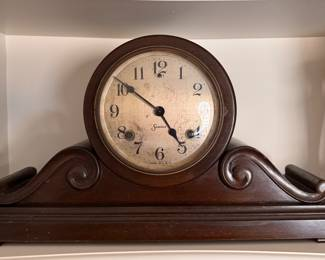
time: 4:51
